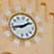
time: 1:42
